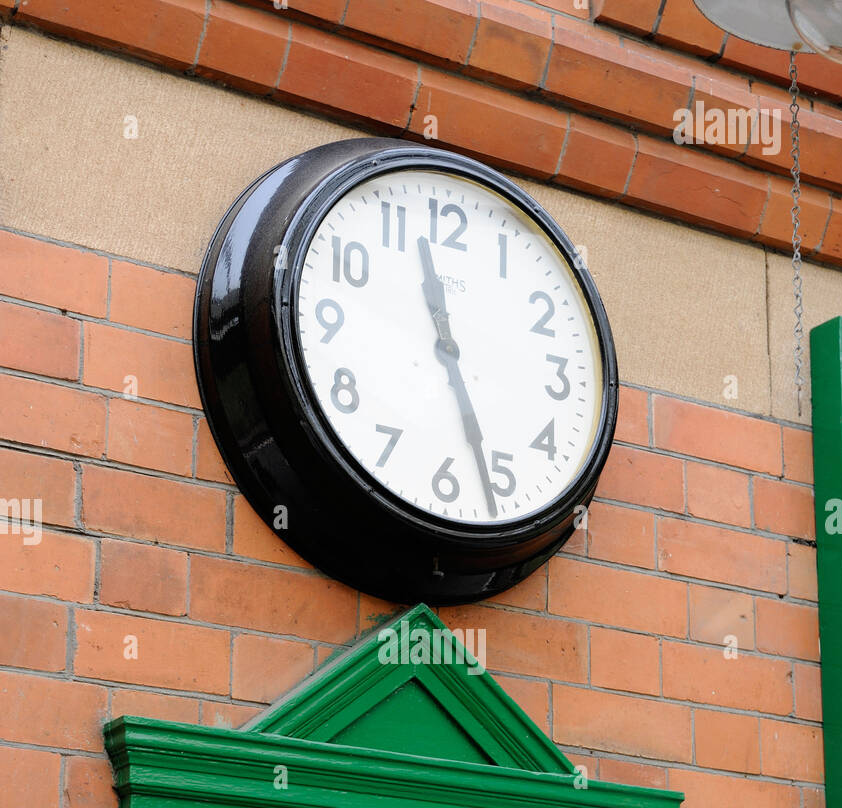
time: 11:26
